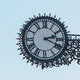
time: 2:19
